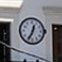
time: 12:34
